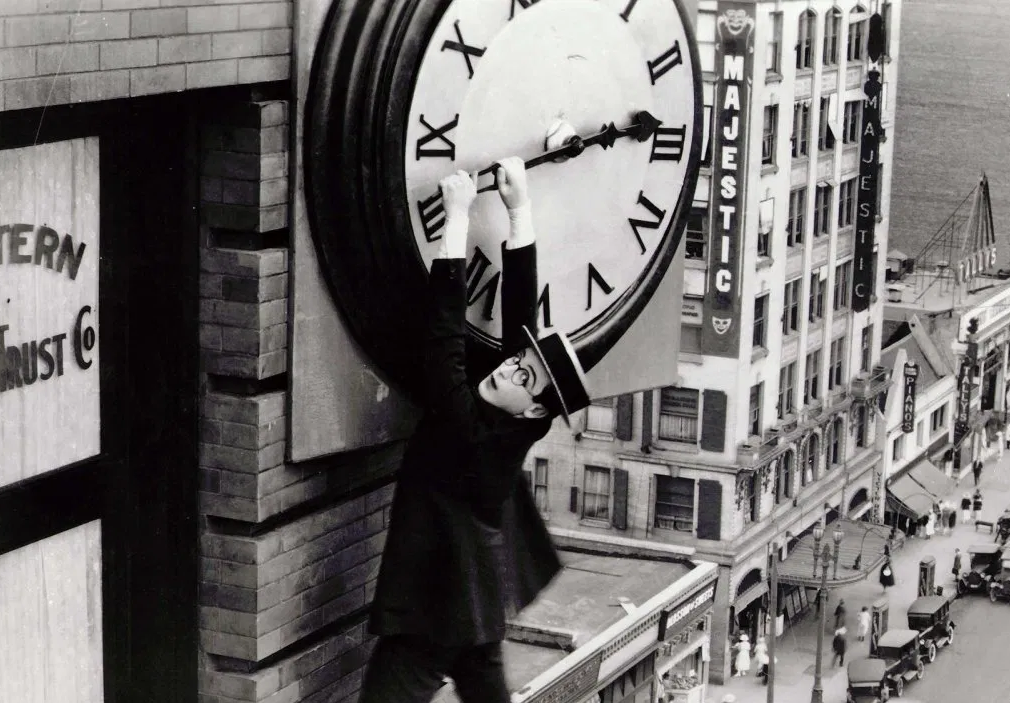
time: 2:13
